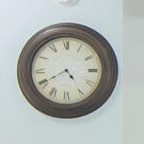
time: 4:40
